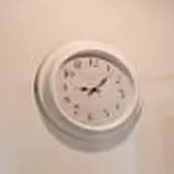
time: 9:07
